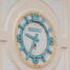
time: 9:34
